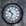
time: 10:33
